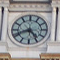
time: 4:41
